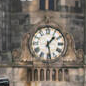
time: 1:28
